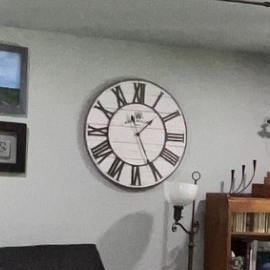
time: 1:25
